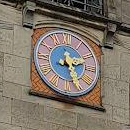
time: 2:26
